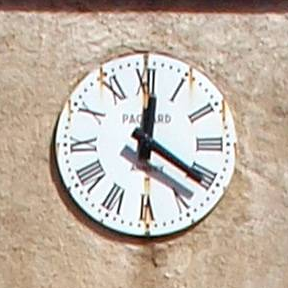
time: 12:20
